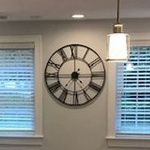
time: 7:15
